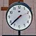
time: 7:37
